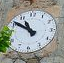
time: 10:50
